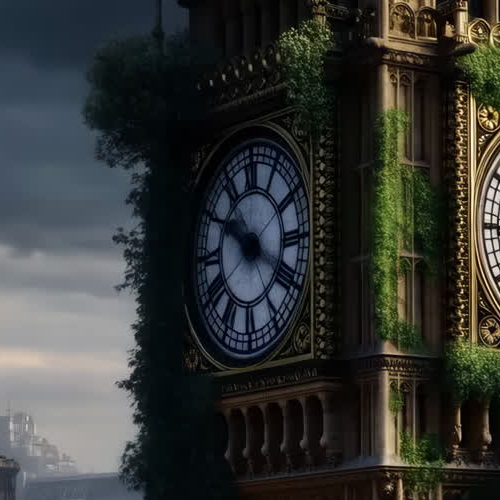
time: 3:49
